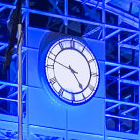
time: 4:47
